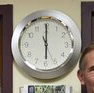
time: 6:00
